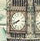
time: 7:41
